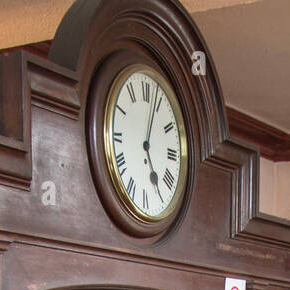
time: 5:03
